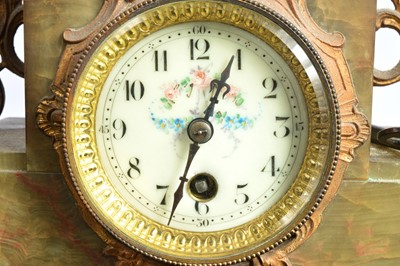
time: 12:33
